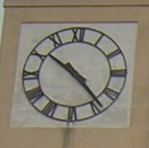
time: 10:23
